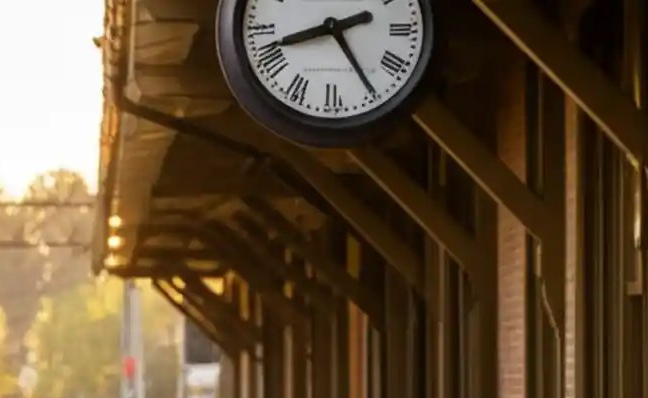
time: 8:24
